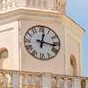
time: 12:16
